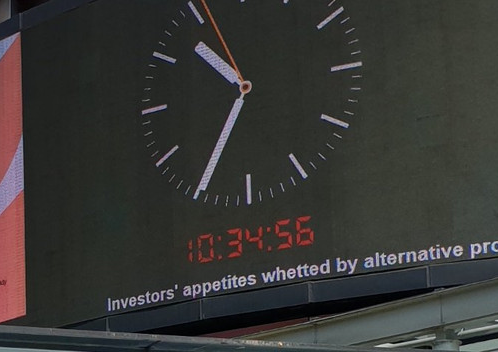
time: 10:34
